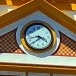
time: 3:42
